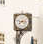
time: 7:47
